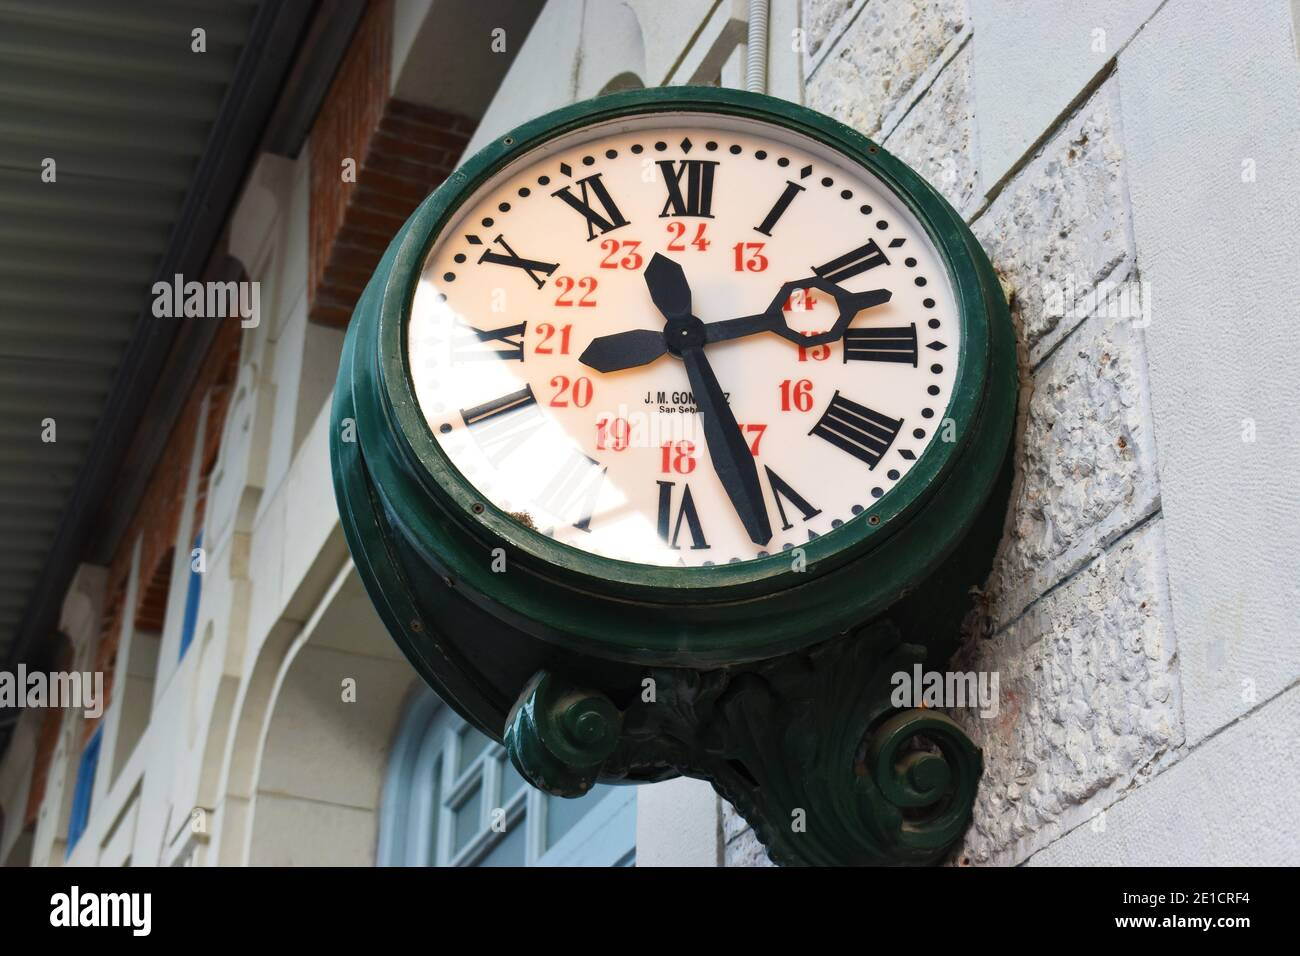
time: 2:26
